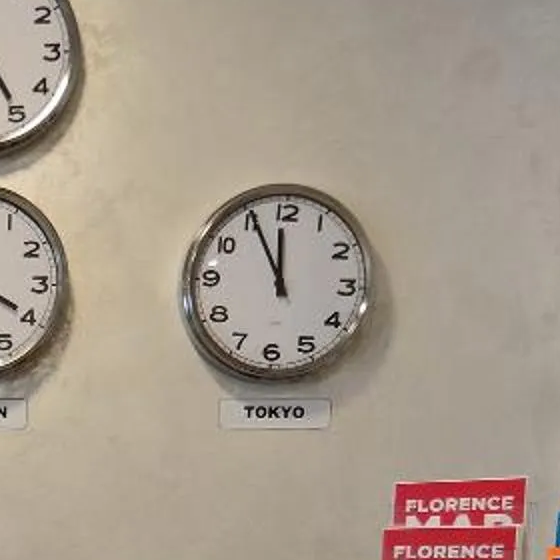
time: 11:55
